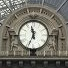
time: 11:34
